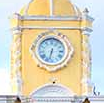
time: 6:32
